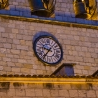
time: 9:36
